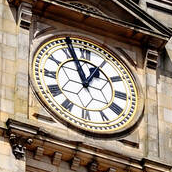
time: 12:56
